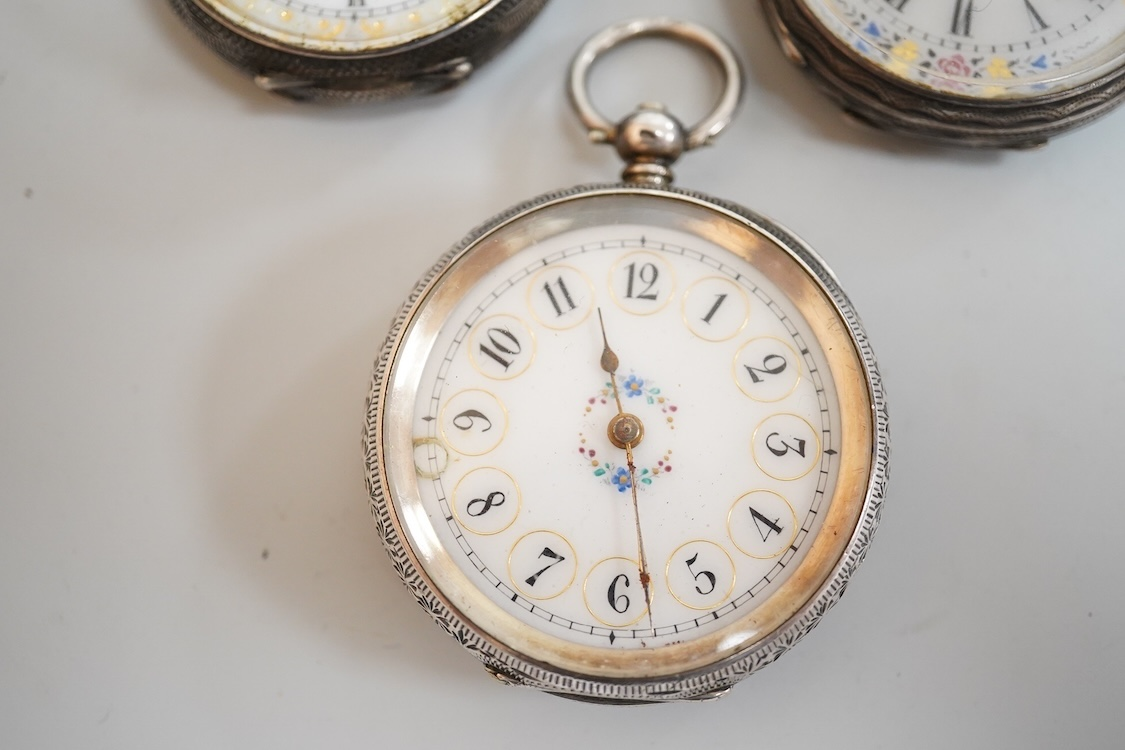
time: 11:28
